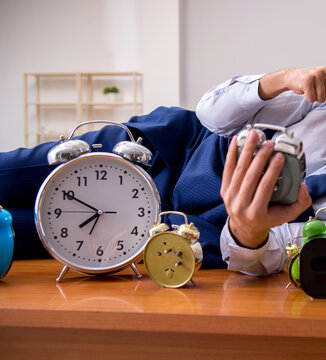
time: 7:50
